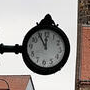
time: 11:54
